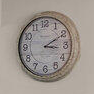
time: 3:10
